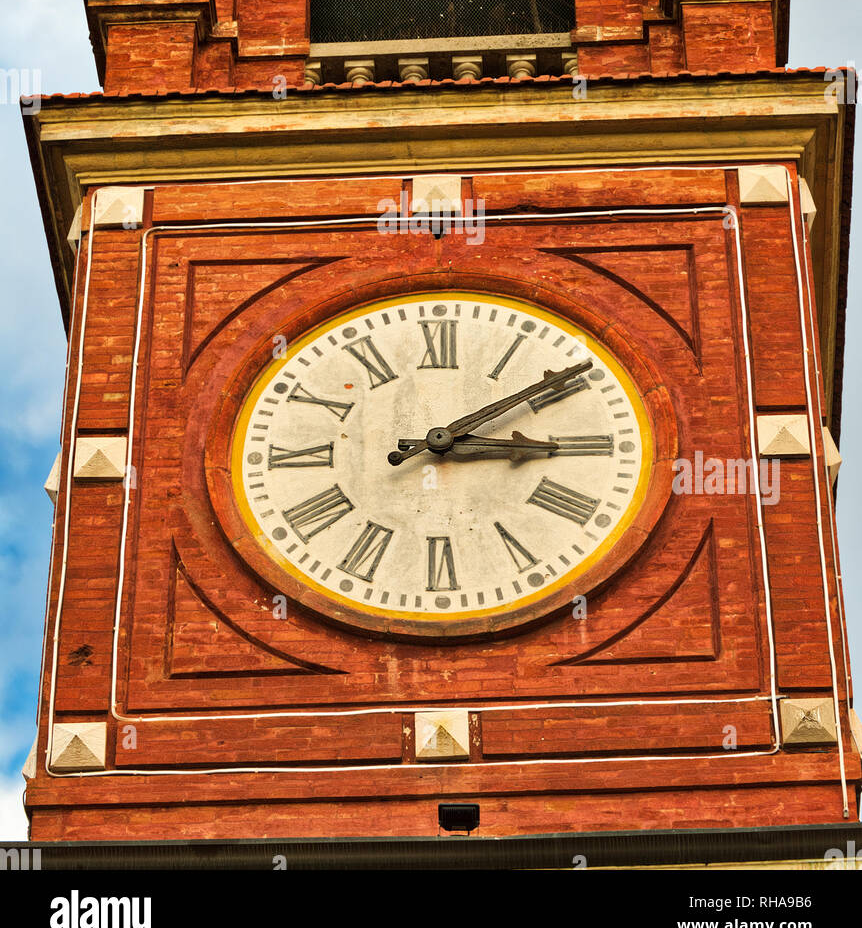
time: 3:09
